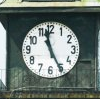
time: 11:25
